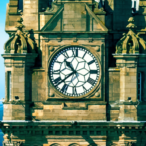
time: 10:38
